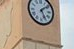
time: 5:08
